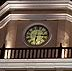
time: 6:15
